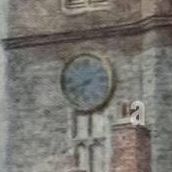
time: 6:40
